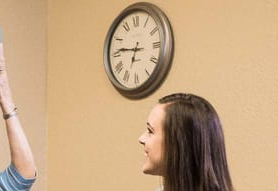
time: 6:46
